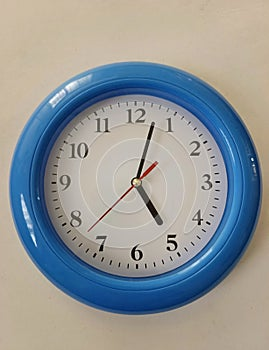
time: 5:02
